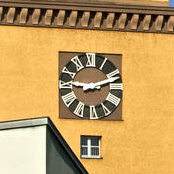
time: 9:11
